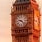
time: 9:22
